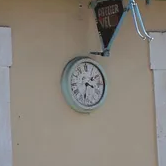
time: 3:32
